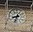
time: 8:33
